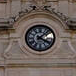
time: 4:07
